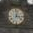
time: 12:16
